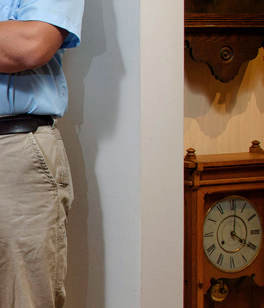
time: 4:01
